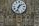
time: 1:33
